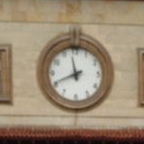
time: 11:41
